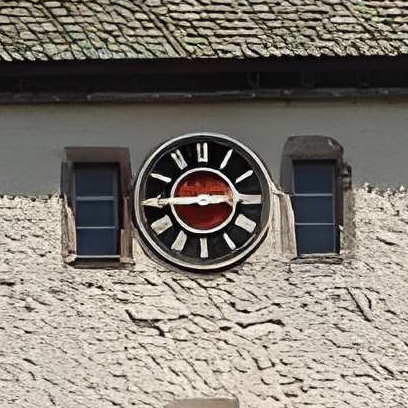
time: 2:44
